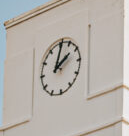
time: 2:01
